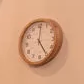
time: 5:00
